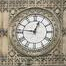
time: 12:46
